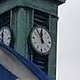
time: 11:53
